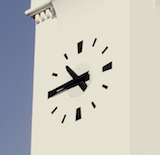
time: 10:45
